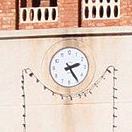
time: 2:24
